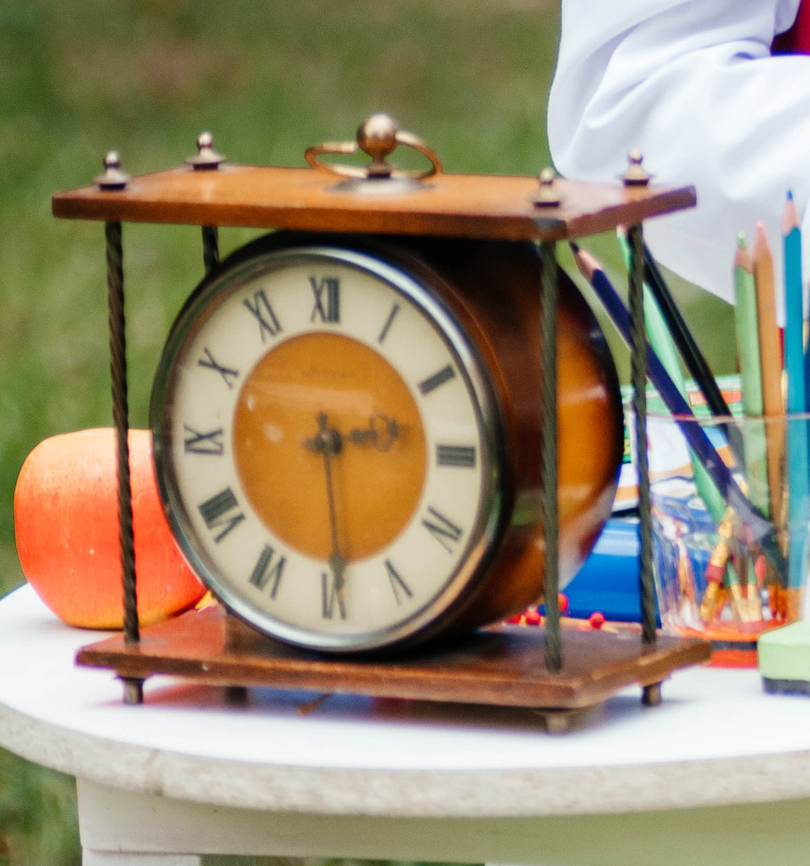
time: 2:29
